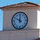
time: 11:50
